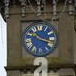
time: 10:17
